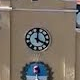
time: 4:00
